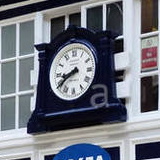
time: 8:40
